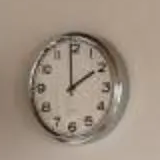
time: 1:59
